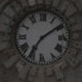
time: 7:09
